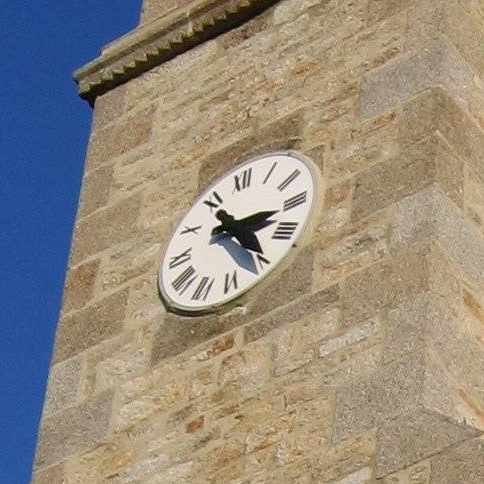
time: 3:24
